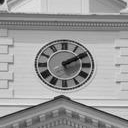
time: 2:09
